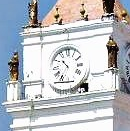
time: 10:34
